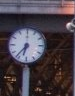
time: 6:36
